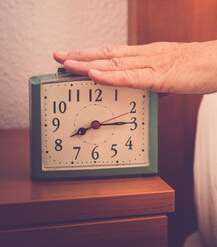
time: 8:14
